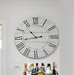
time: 10:43
